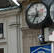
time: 11:35
